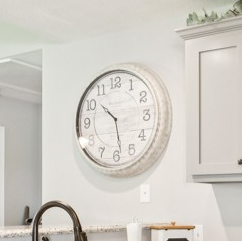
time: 10:28
